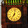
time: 7:02
